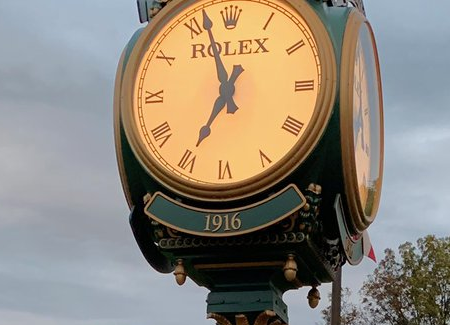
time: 6:57
